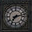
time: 7:13
